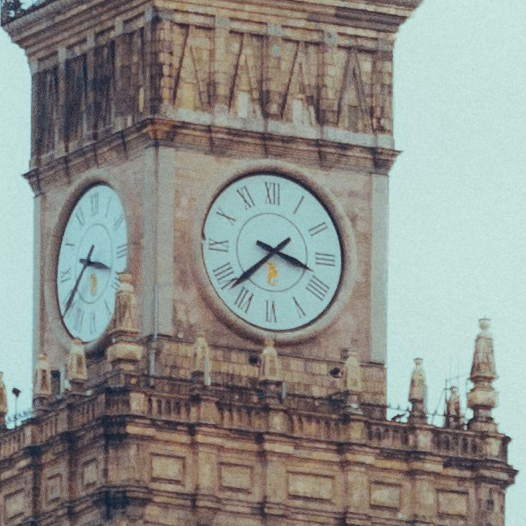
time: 3:37
